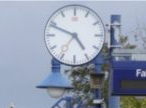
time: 4:48
